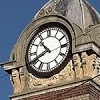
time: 10:40
